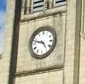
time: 4:47
